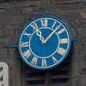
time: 11:07
